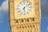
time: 6:08
